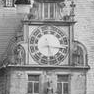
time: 5:15
